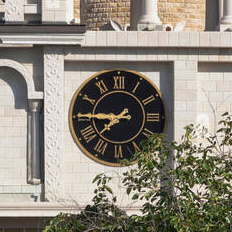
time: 7:45
